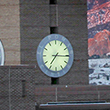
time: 7:15
